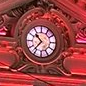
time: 10:36
